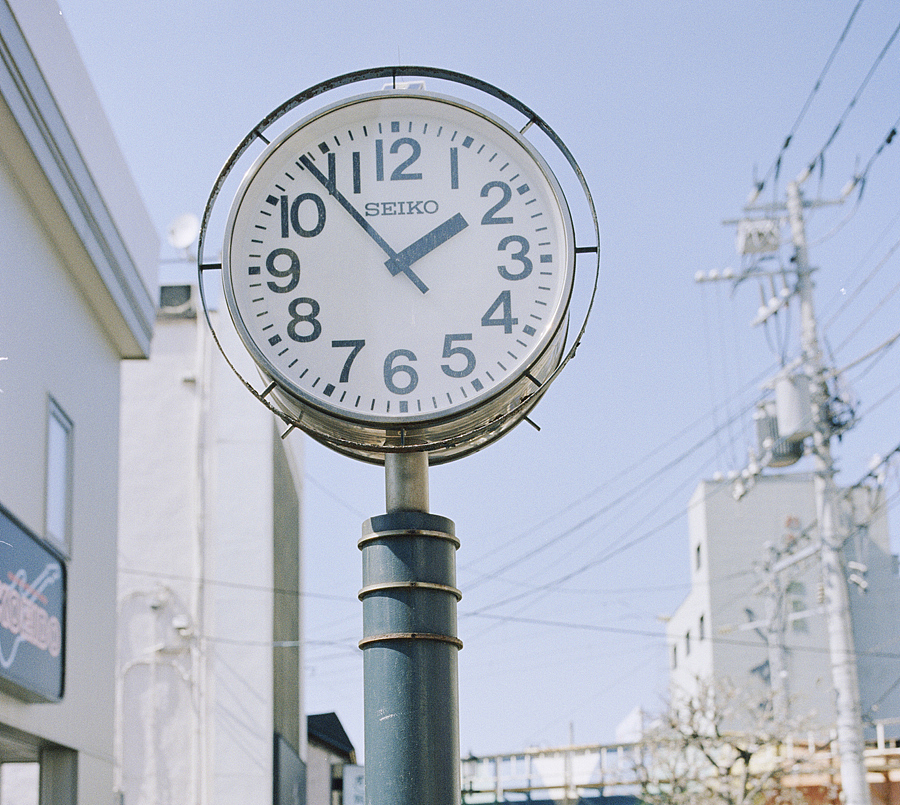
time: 1:53
